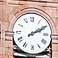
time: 2:09
